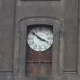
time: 3:51
